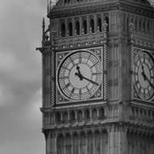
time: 11:19
